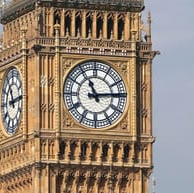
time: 11:13
